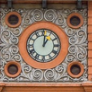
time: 1:00
